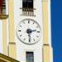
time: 2:29
